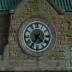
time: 4:35
